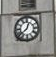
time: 12:37
